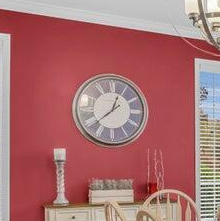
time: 12:38
